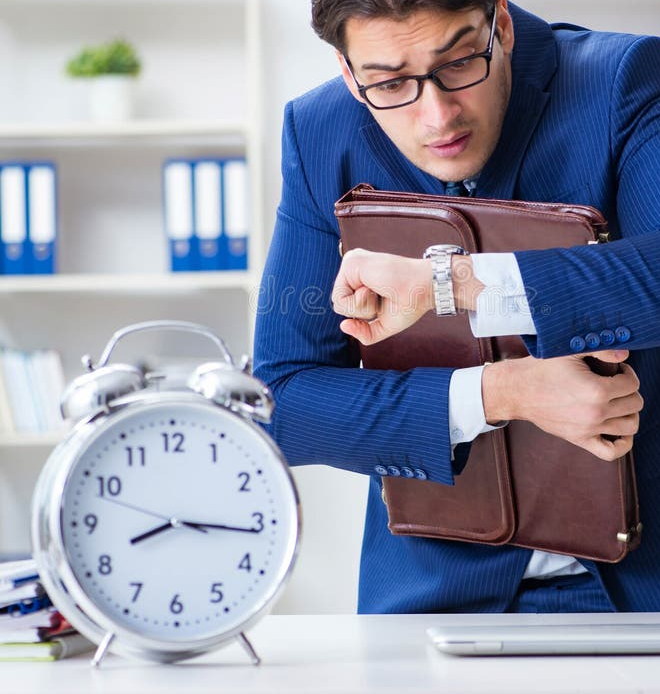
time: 8:16
